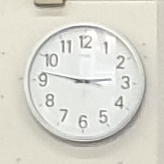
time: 2:46
